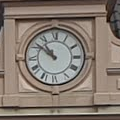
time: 10:51
